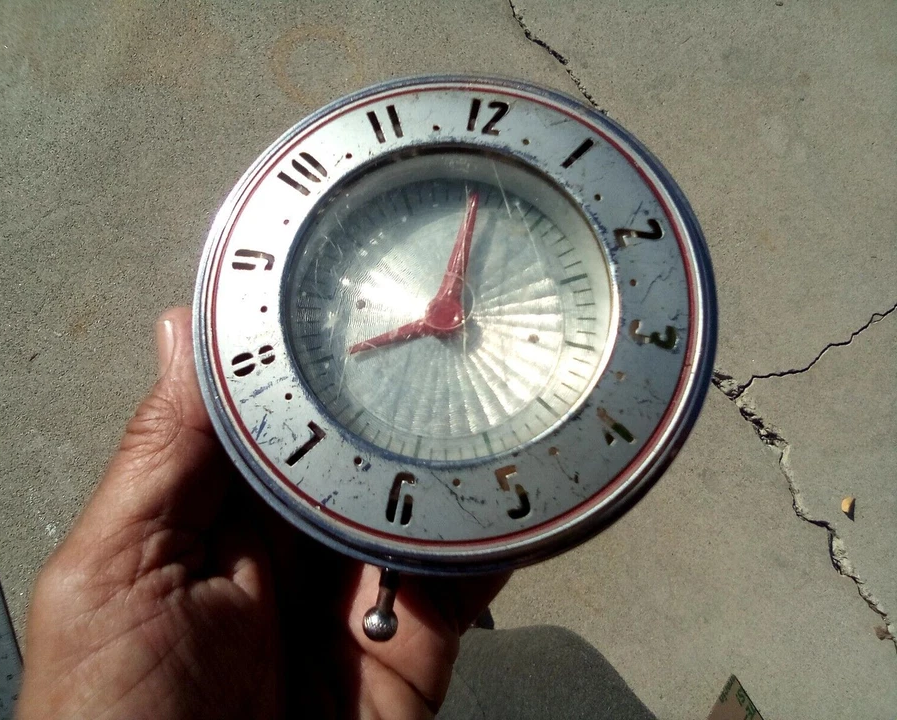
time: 8:00
